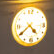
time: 4:39
